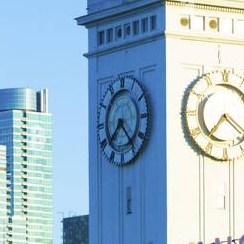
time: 7:23
